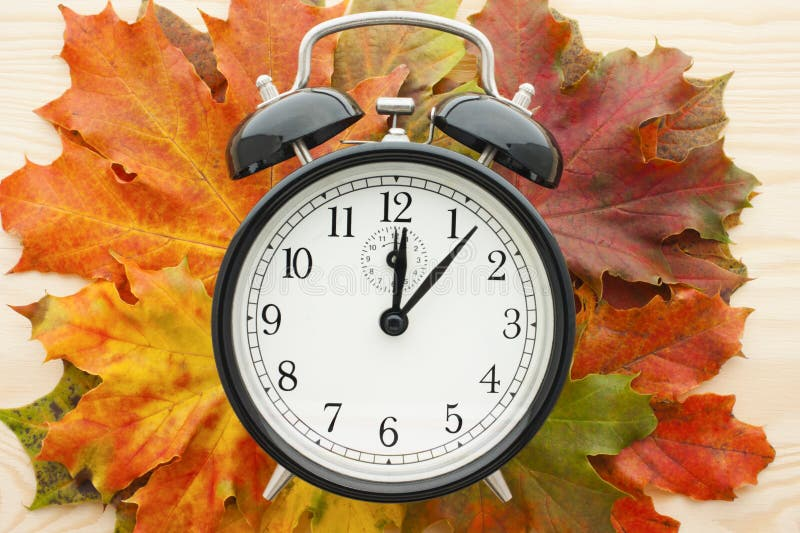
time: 12:06
